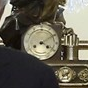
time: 4:09
